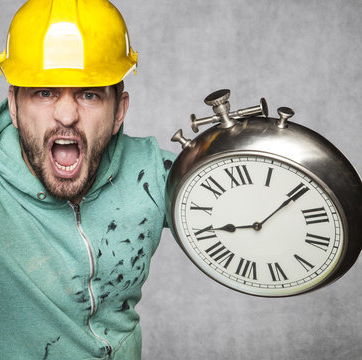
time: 9:10
